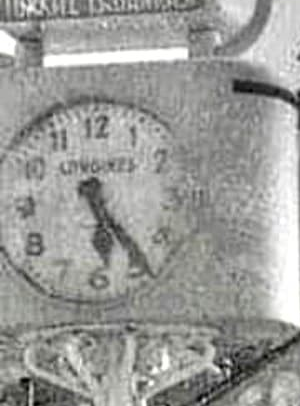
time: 5:23
